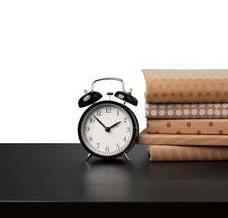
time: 1:52
